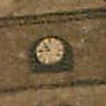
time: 10:43
